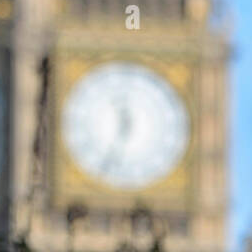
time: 11:33
